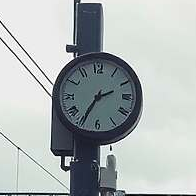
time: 2:35
